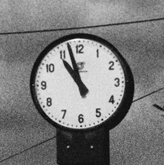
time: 10:57
